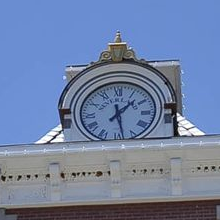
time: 1:28
